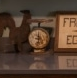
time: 11:32
